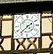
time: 1:37
